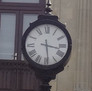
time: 3:28
